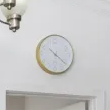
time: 10:21
